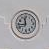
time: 11:44
